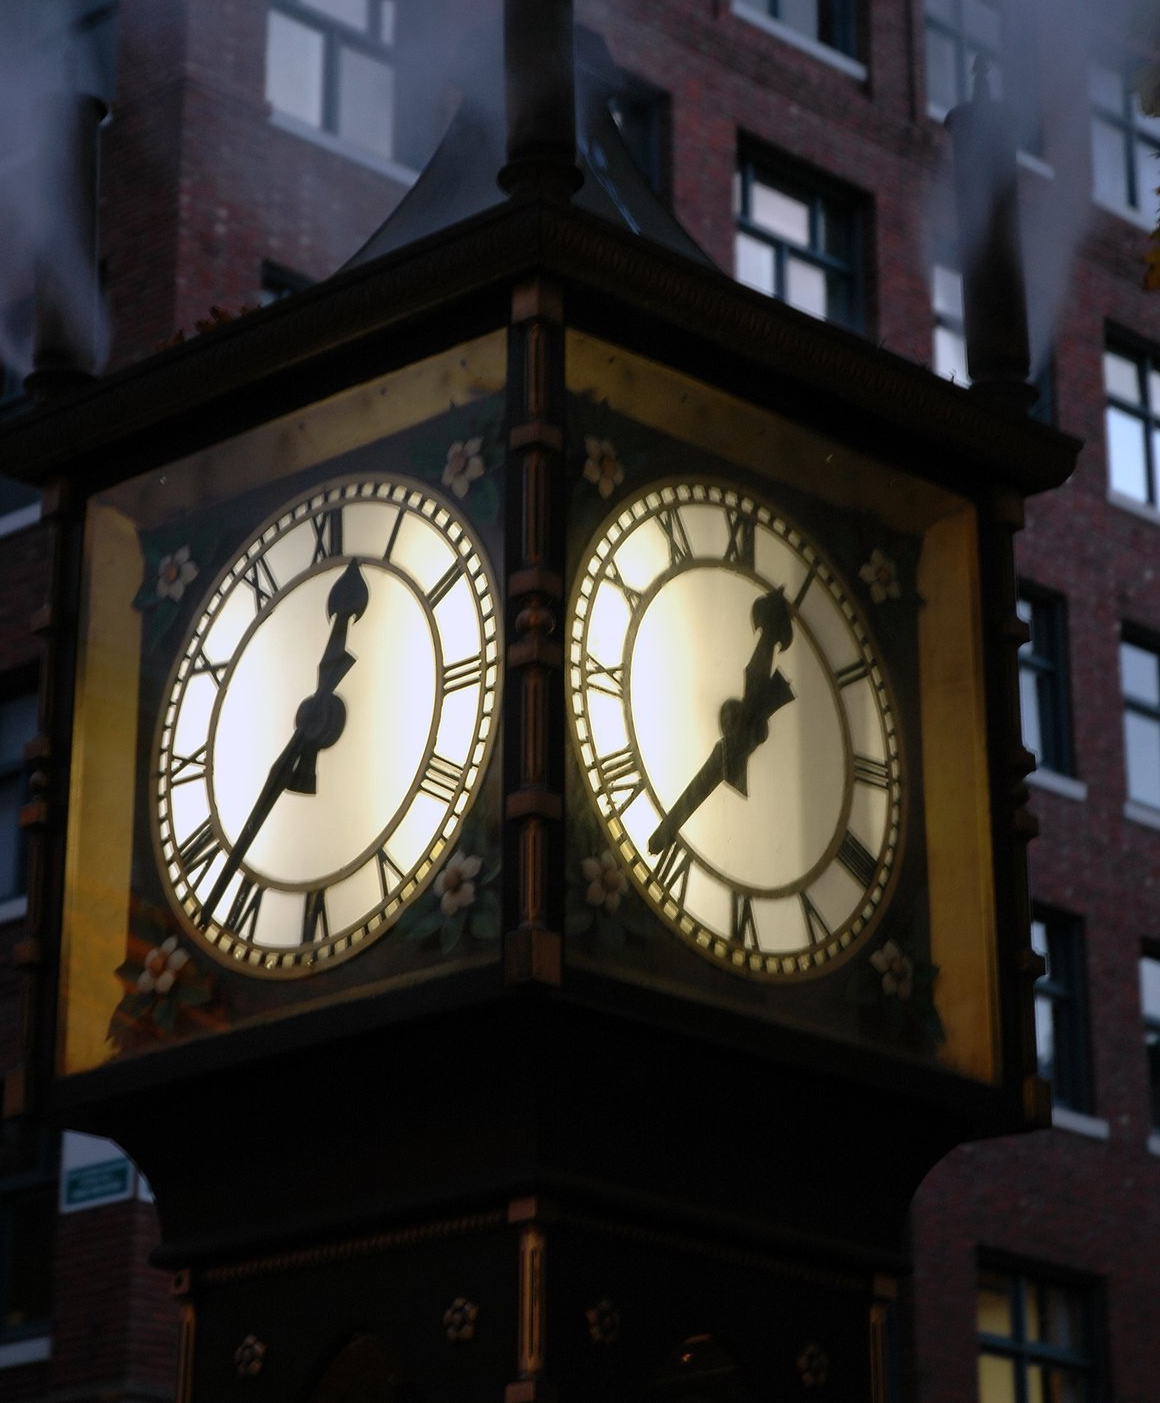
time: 12:36
